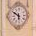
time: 5:49
